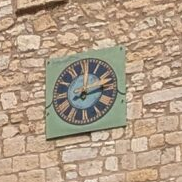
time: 12:12
